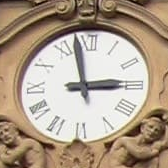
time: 2:57
